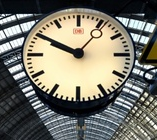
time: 9:50
